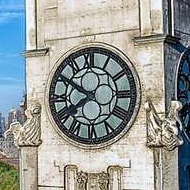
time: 7:50
